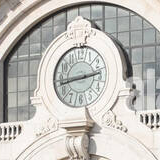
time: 2:43
